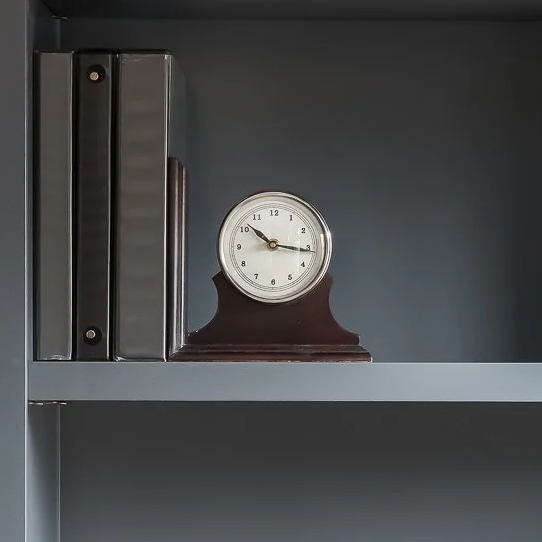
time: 10:15
